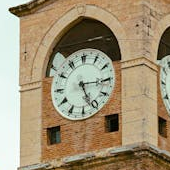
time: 5:15
